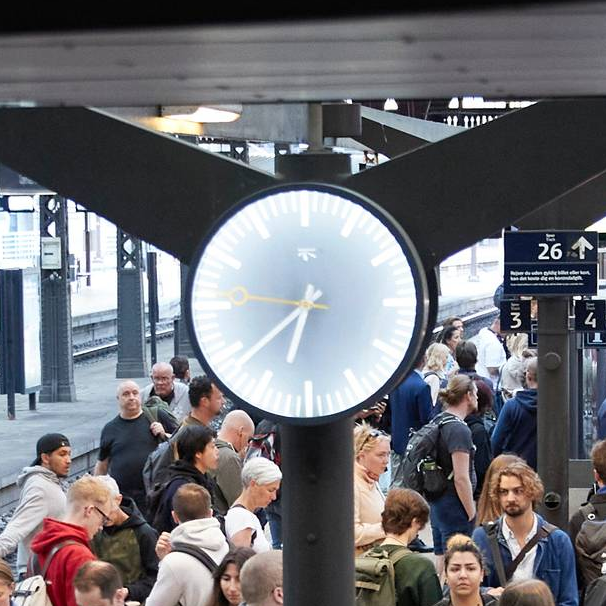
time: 6:38
